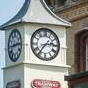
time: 2:36
